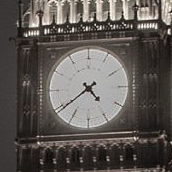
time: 4:39
